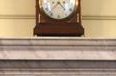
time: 4:36
